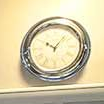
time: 10:07
